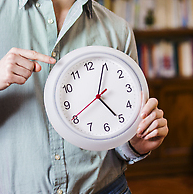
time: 5:04
